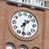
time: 7:31
